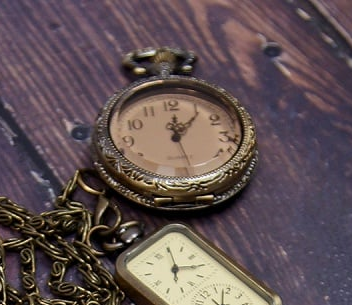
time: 12:06
